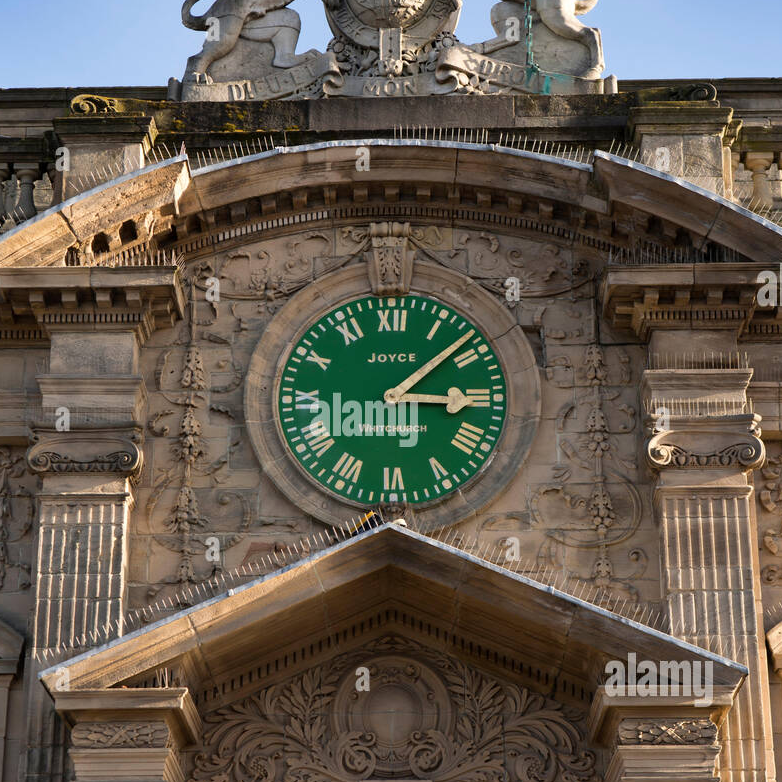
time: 3:08
